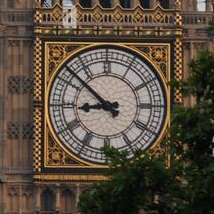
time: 8:51
